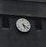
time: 5:20
